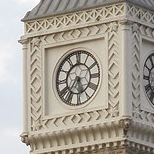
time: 5:36
